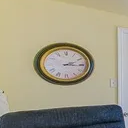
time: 2:15
